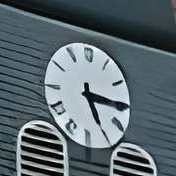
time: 5:15
